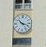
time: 10:17
